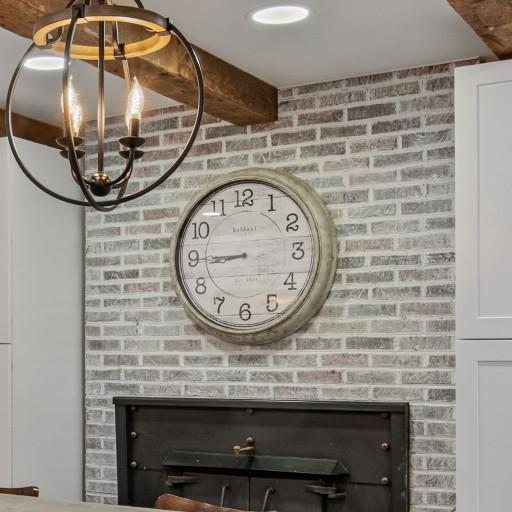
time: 8:44
